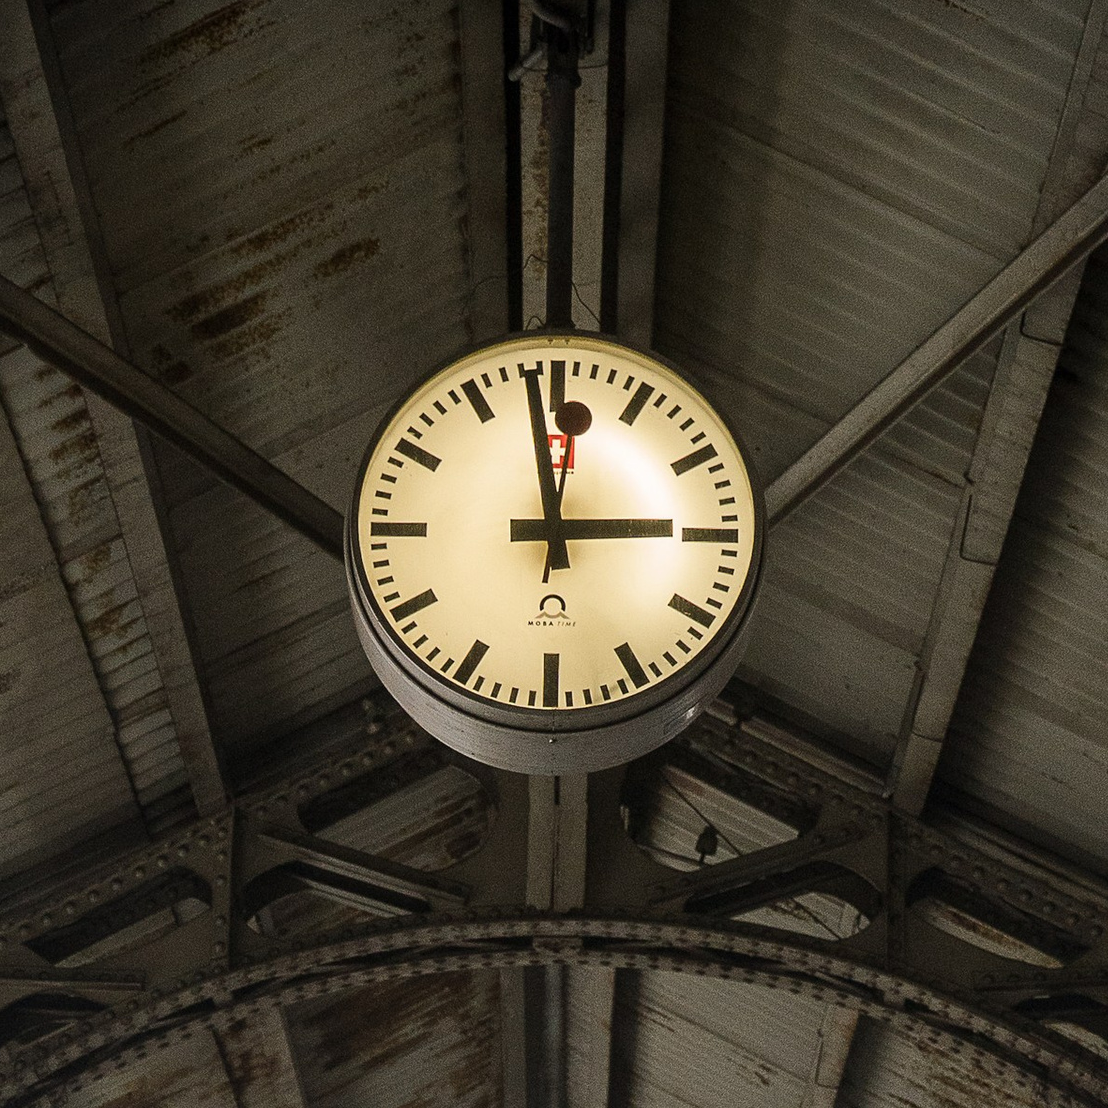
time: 2:58
